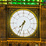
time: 7:33
